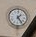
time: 1:24
